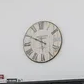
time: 5:49
